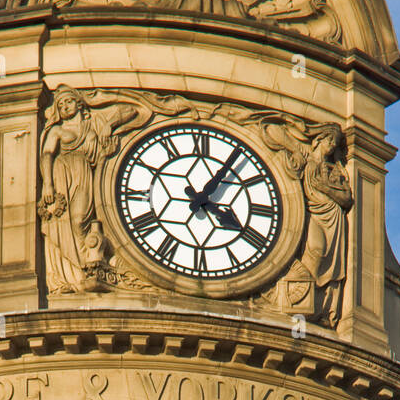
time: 4:05
